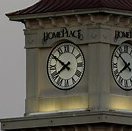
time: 7:50
